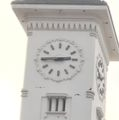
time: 2:45
